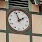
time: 1:56
